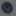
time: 11:07
